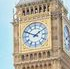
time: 1:49
